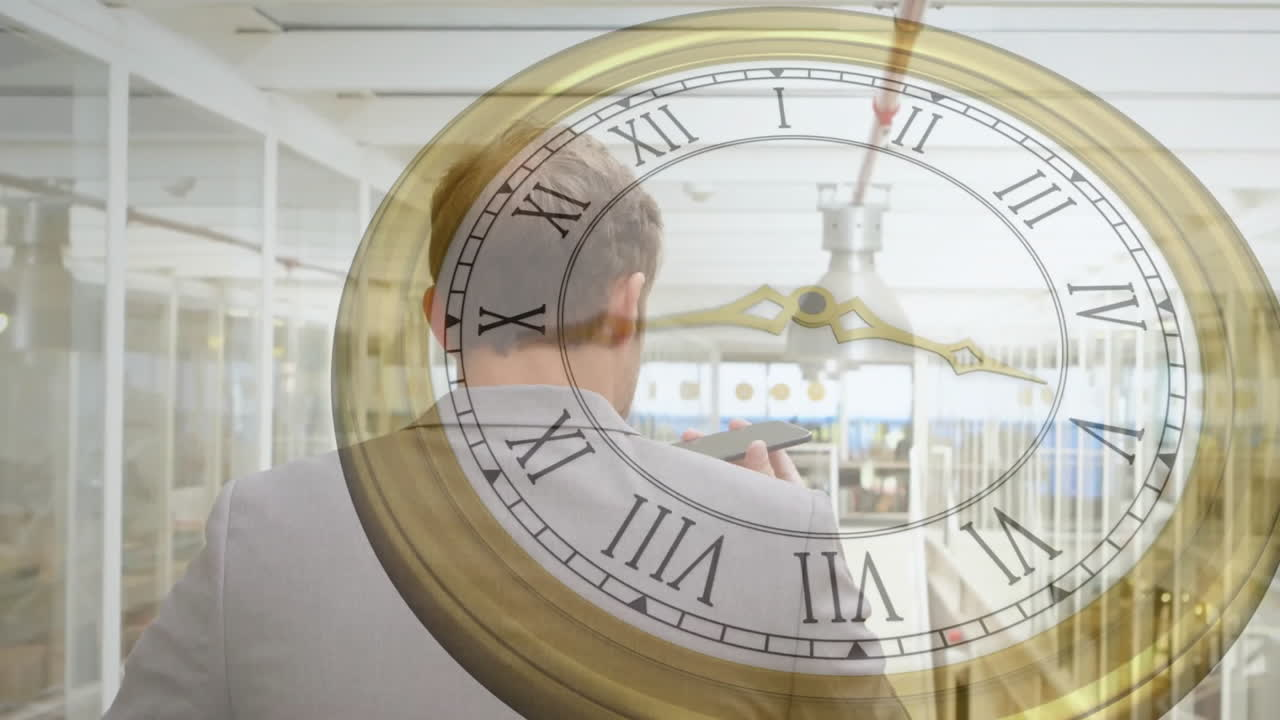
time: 3:44
